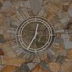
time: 12:34
